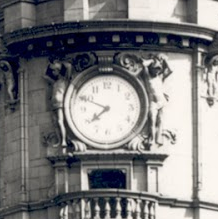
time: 7:49
